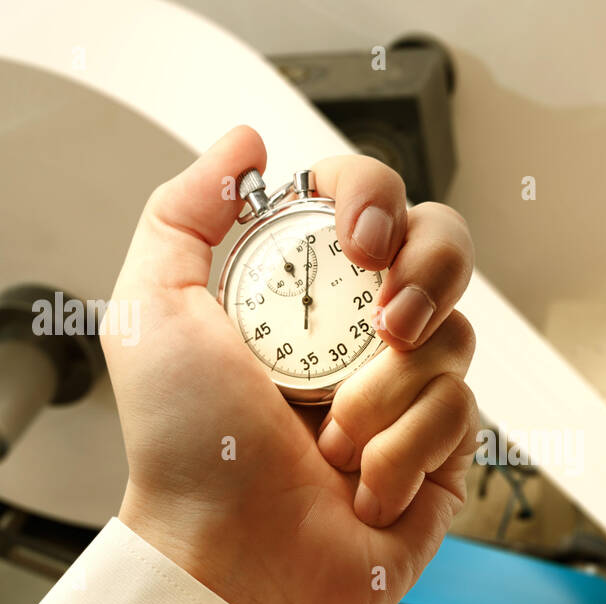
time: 11:00
